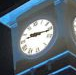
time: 9:16
